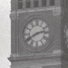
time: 2:40
